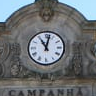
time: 11:02
